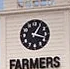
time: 1:18
